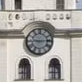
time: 9:14
